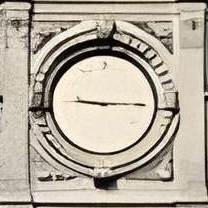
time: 9:14
